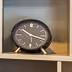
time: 10:18
